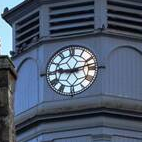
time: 9:12
